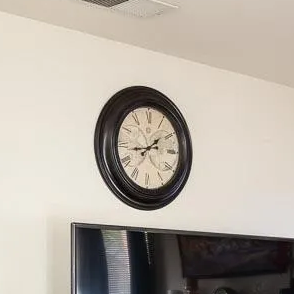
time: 1:42
